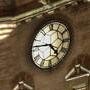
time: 4:46
